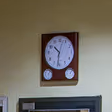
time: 10:31
